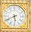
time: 5:40
